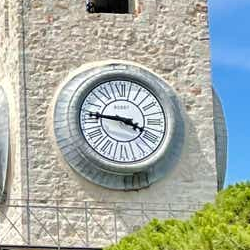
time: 3:46
